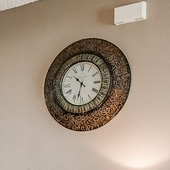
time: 10:32
